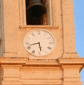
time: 5:42
